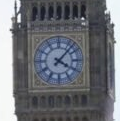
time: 4:07
